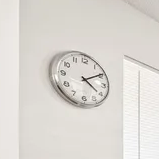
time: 4:09
